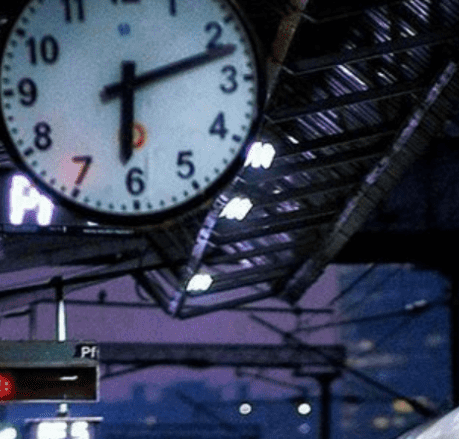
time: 6:12
